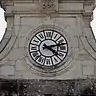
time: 4:12
